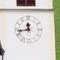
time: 11:43
